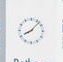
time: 8:07
